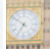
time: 6:50
